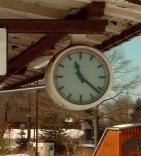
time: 11:21
